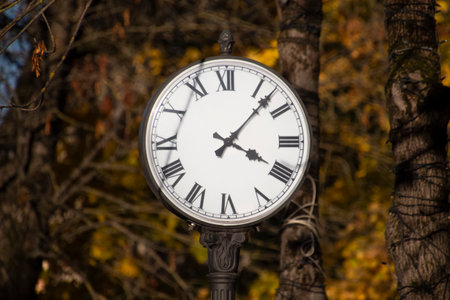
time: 4:07
